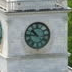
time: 10:45
